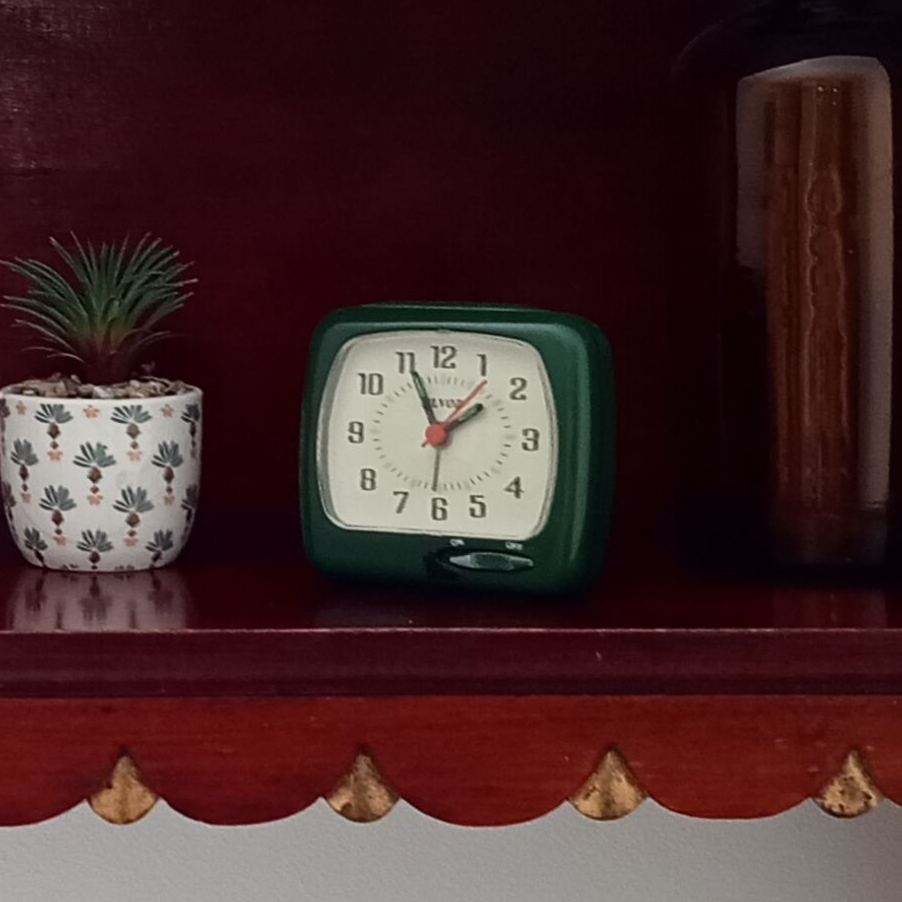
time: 1:56
